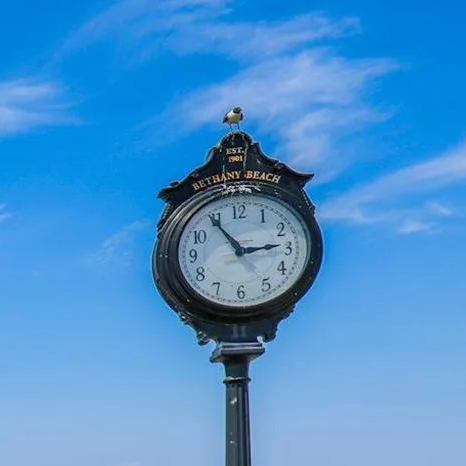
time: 2:54
